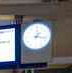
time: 1:17
